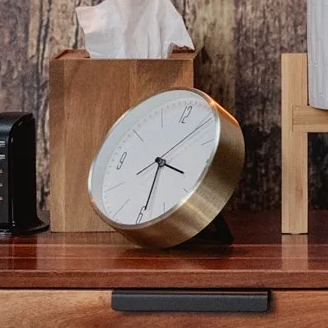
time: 3:29
